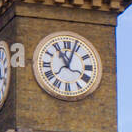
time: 11:03
